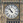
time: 10:52
